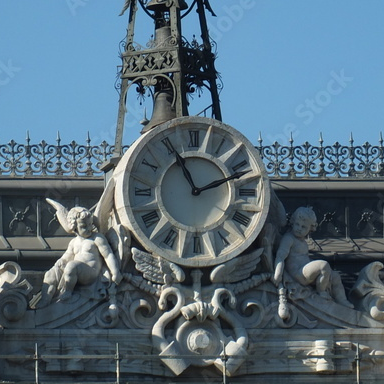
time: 11:11
